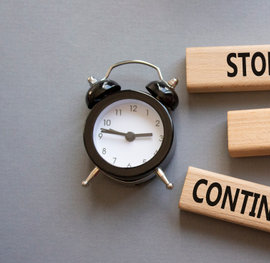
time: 2:46
